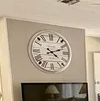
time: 4:11
